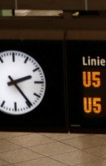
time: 2:24
